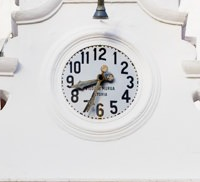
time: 8:34
